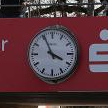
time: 3:55
